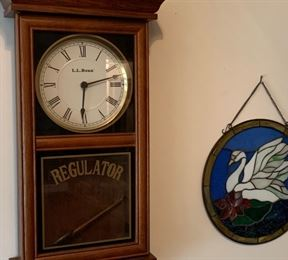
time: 6:12
